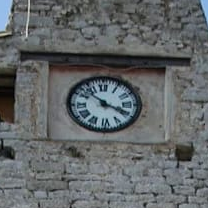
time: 3:52
